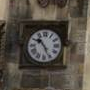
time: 10:25
